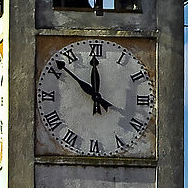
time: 11:51
